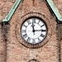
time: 2:58
